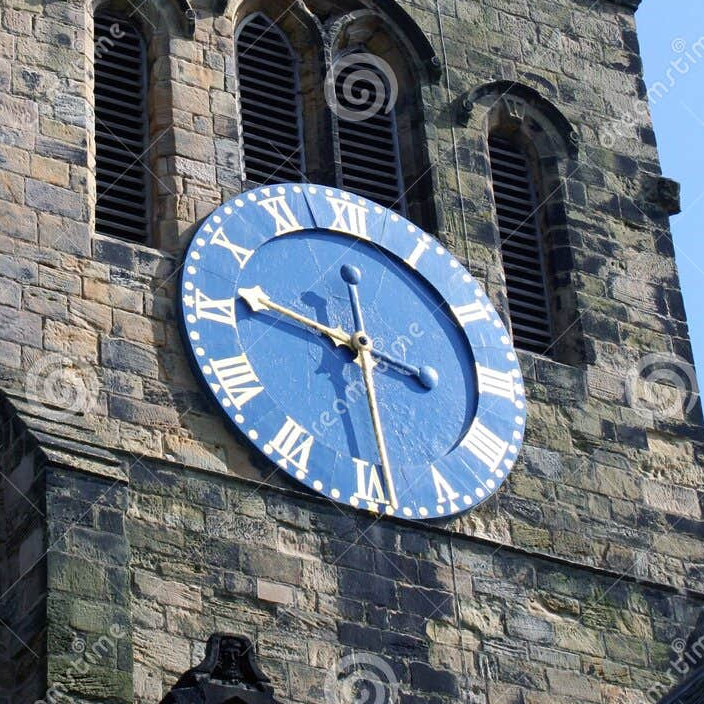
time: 9:28
